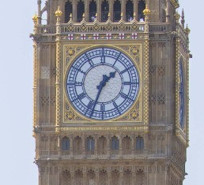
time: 1:33
